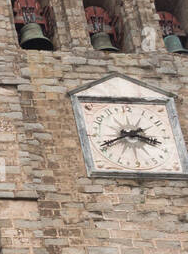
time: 3:40
